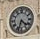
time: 4:33
